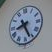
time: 8:26
